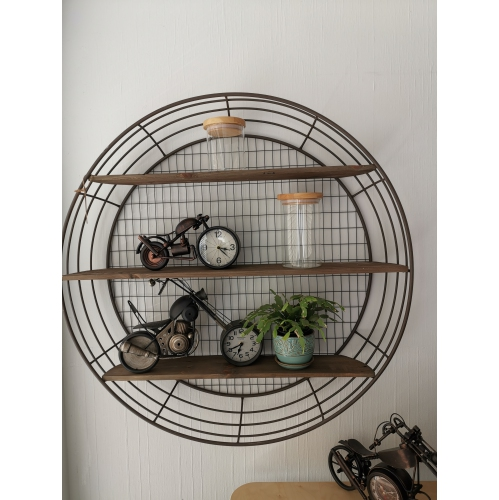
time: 7:15
